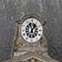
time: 12:57
